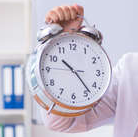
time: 10:23
